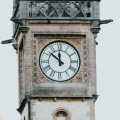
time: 11:51
